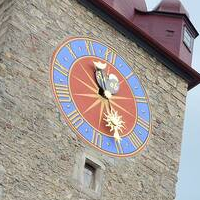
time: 11:28
